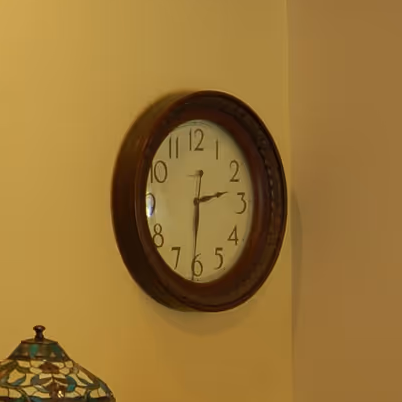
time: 2:31
